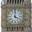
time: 4:00
